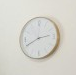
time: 2:40
